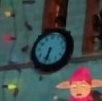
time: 6:32
